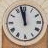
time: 11:57
